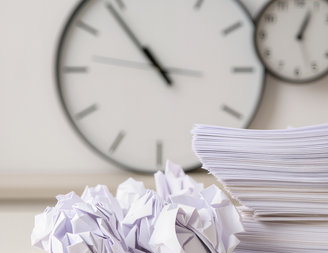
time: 10:53
